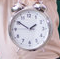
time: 1:50
